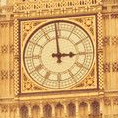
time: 2:59
